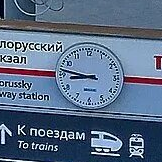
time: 8:46
